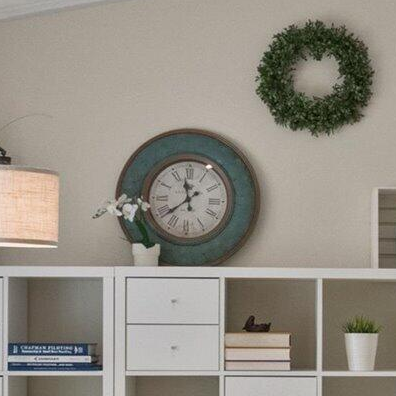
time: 11:38
